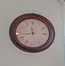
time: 11:43
